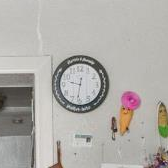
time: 9:31
